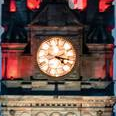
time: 4:16
